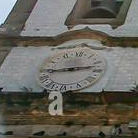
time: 2:43
